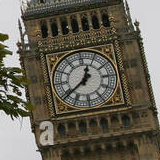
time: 12:38
